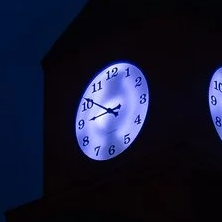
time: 8:50
